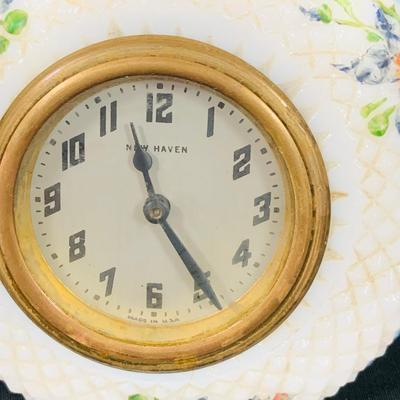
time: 11:24
